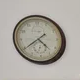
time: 4:39
